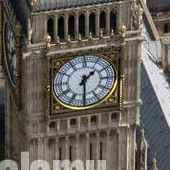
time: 1:30
